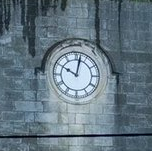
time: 10:02
